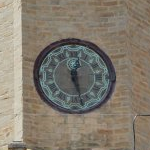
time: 12:27
